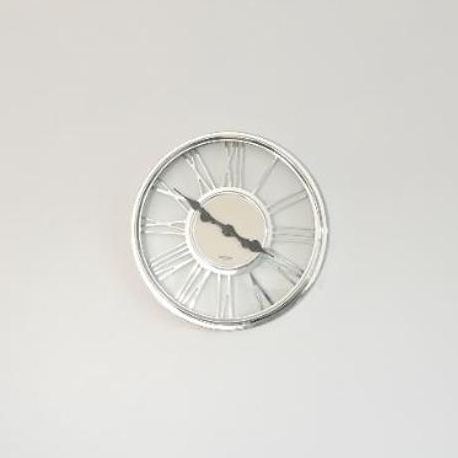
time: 3:50
